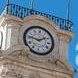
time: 1:46
